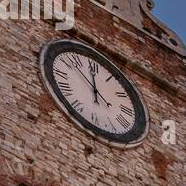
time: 11:52
